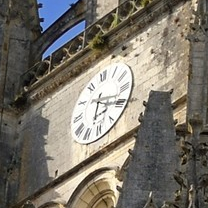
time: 6:18
